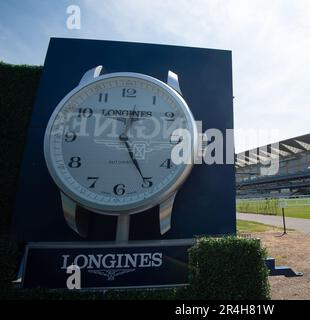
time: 12:25
